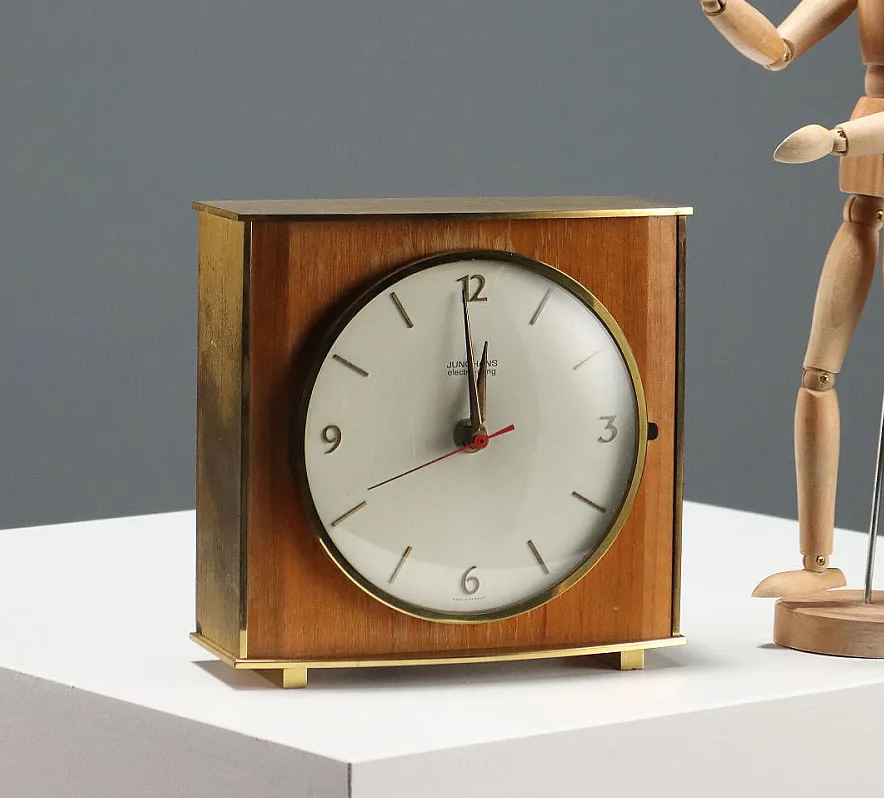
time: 11:59
